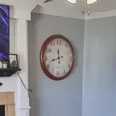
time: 11:42
